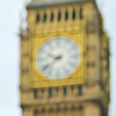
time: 9:38
